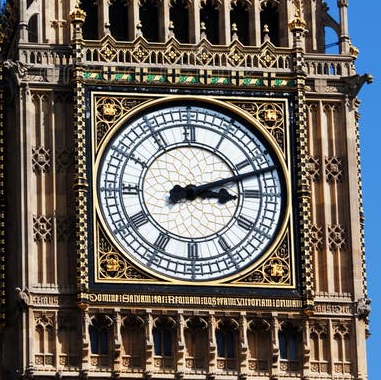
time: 3:11
